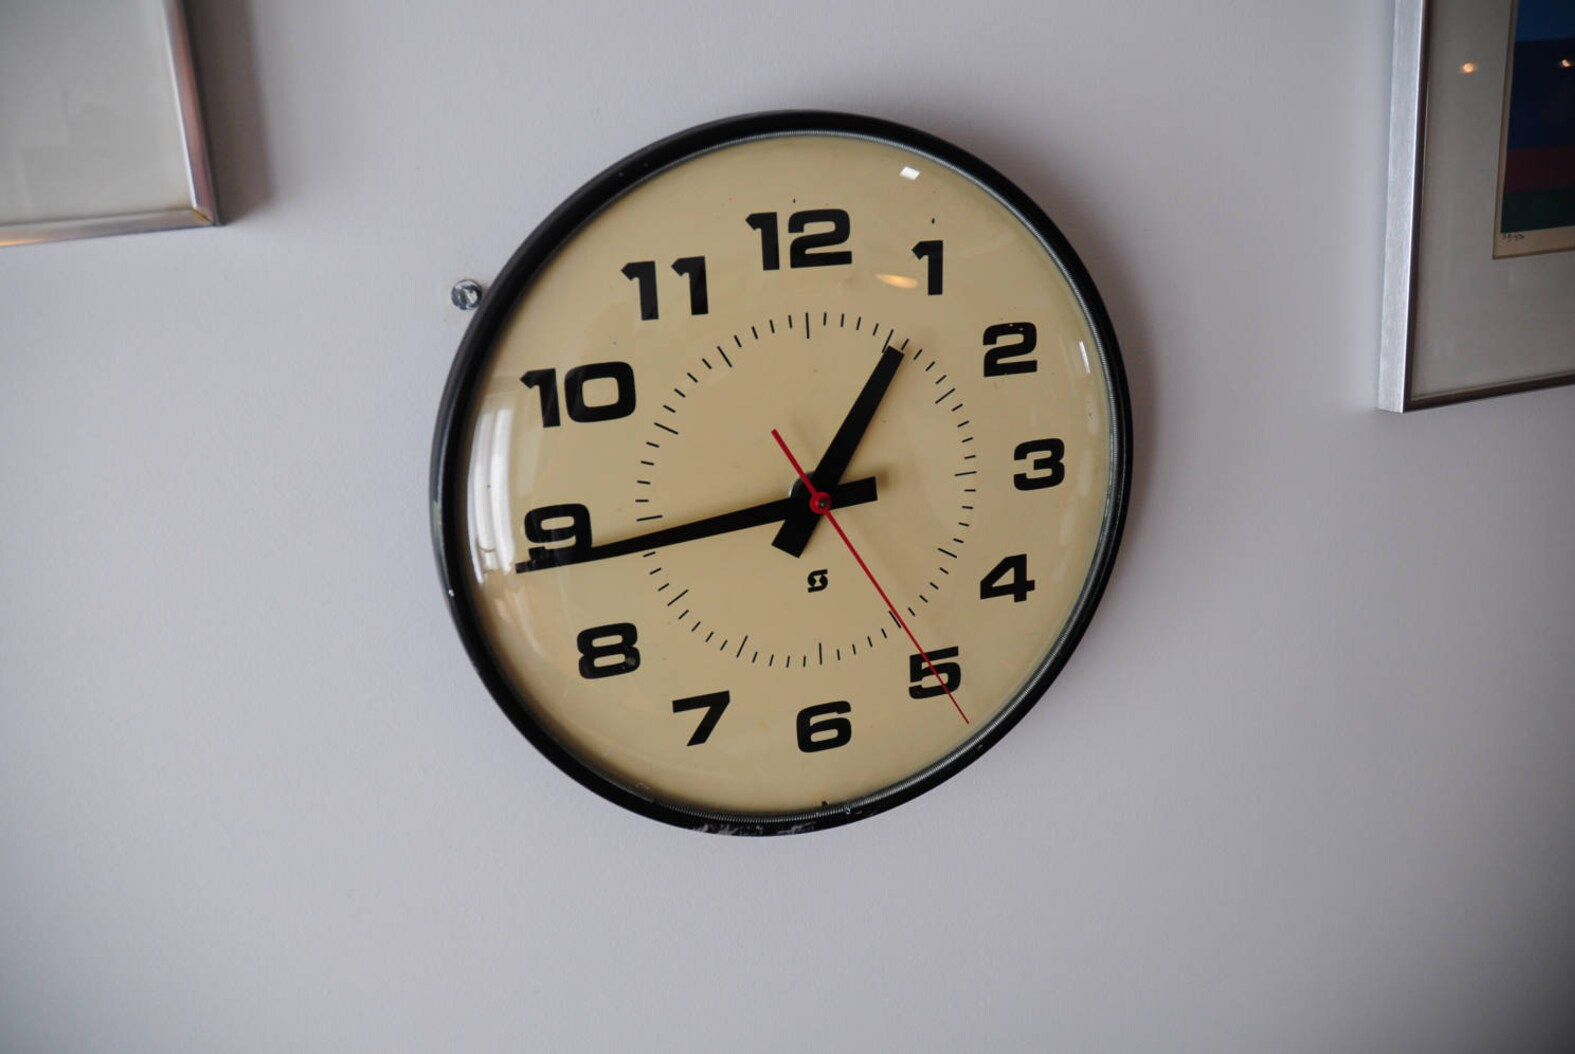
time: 12:44
